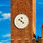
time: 10:22
